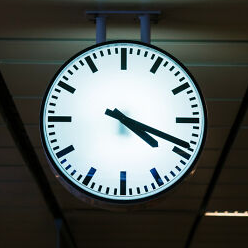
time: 4:18
